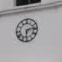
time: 6:13
